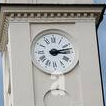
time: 3:12
